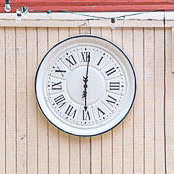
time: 6:01
